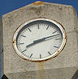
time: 8:12
